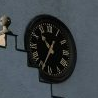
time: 10:34
